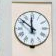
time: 11:51
